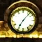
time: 7:07
